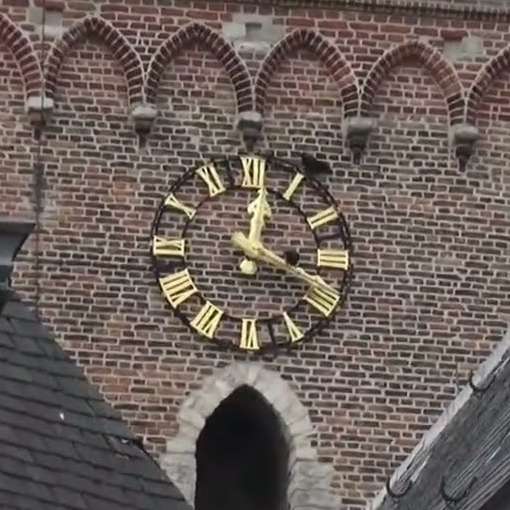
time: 12:18
